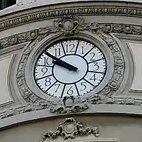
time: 9:50
